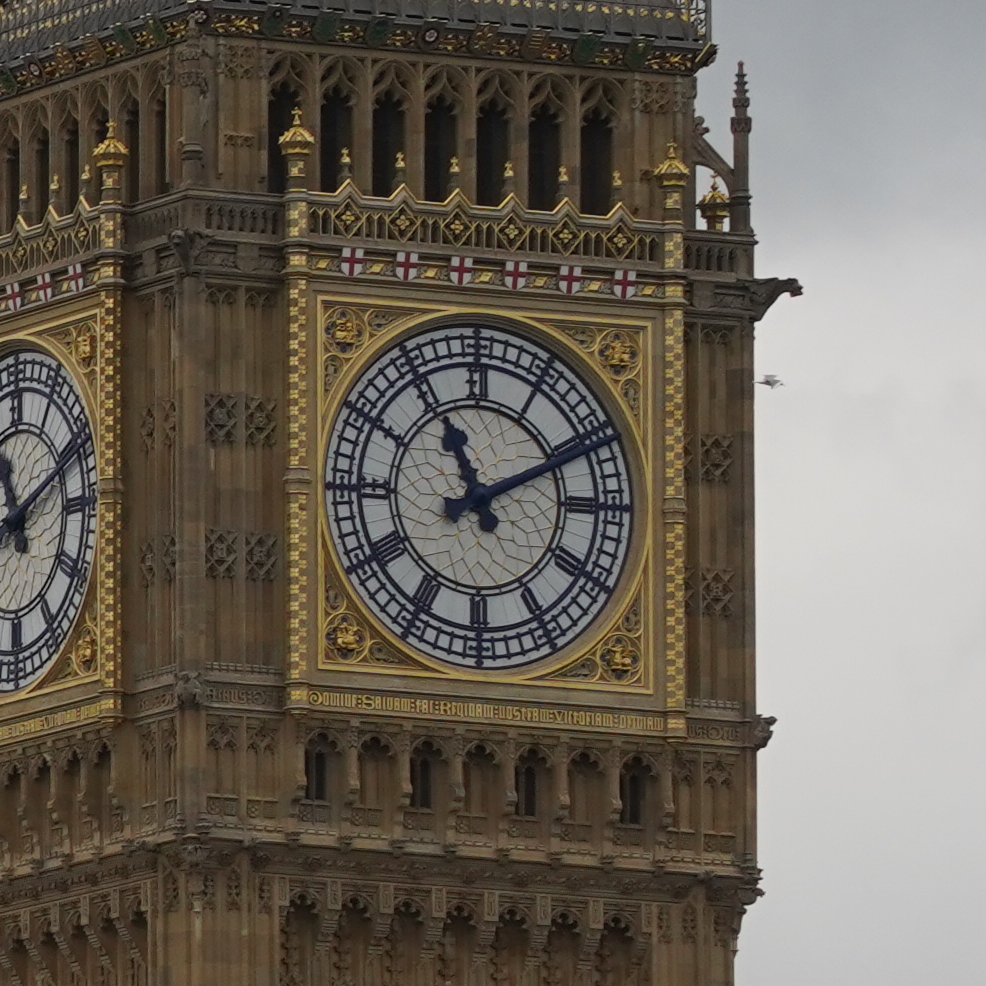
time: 11:10
